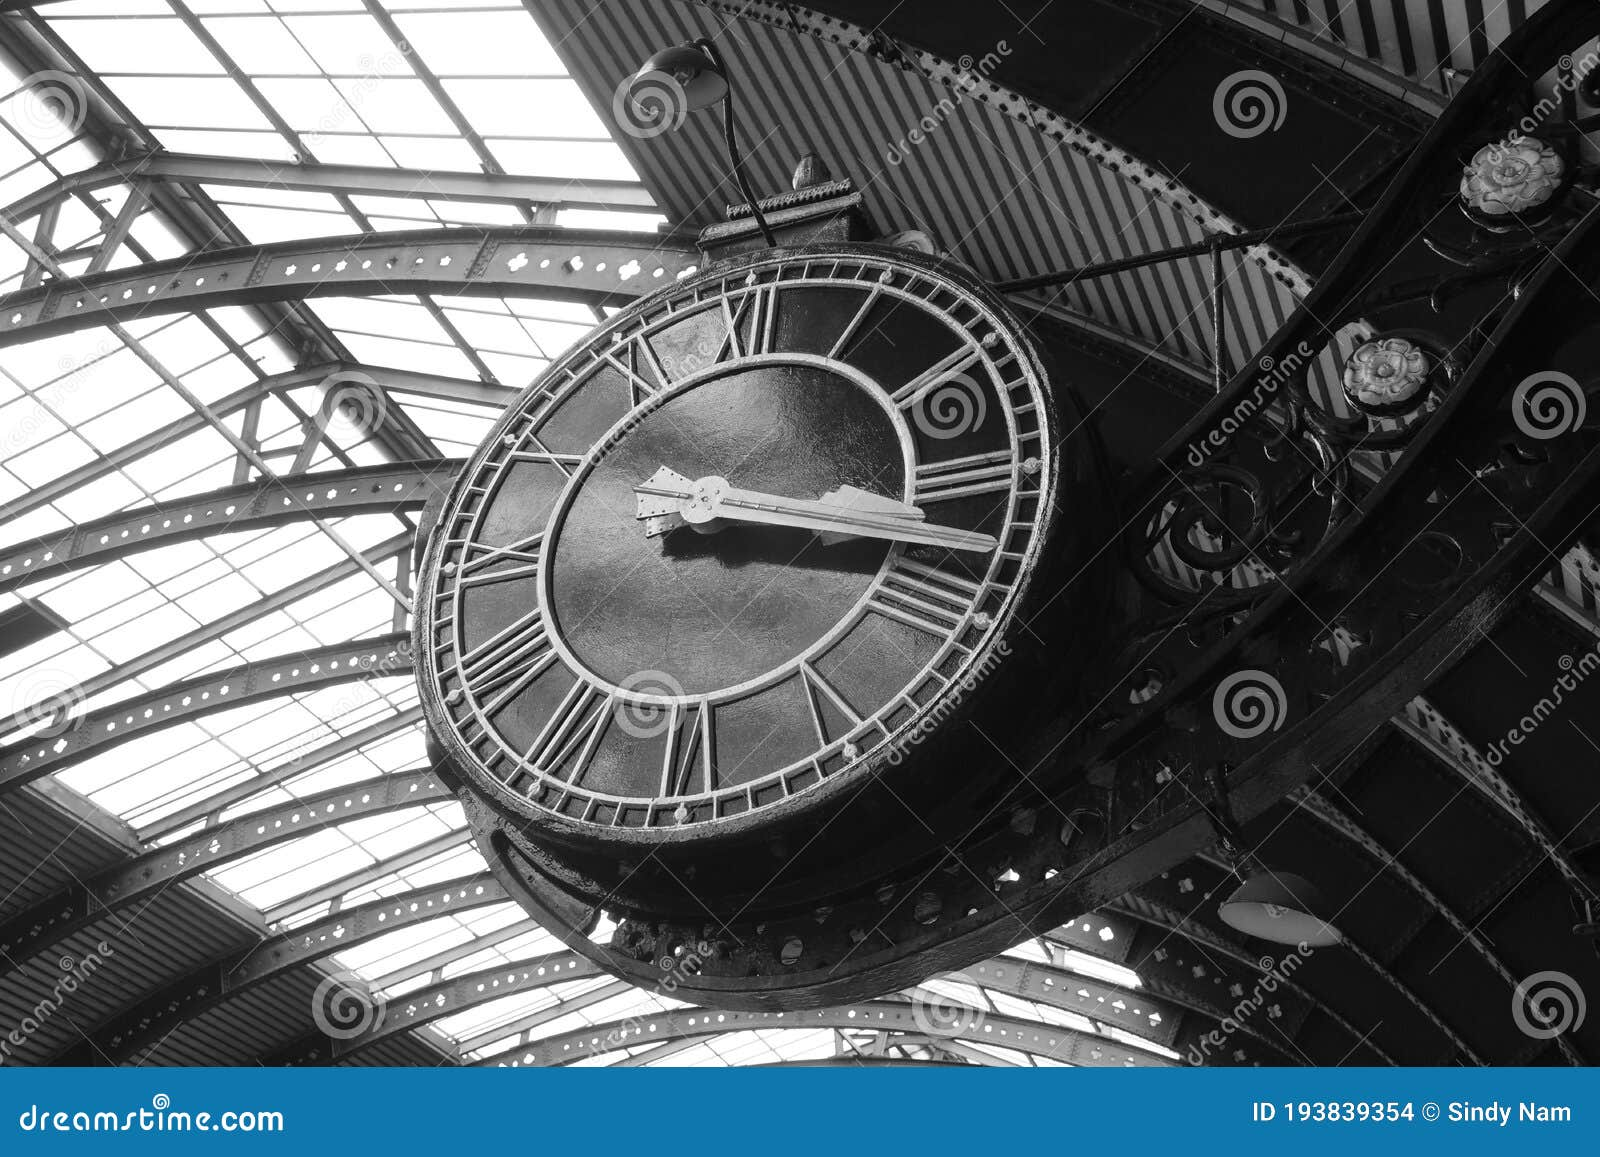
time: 3:17
